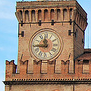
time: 11:44
